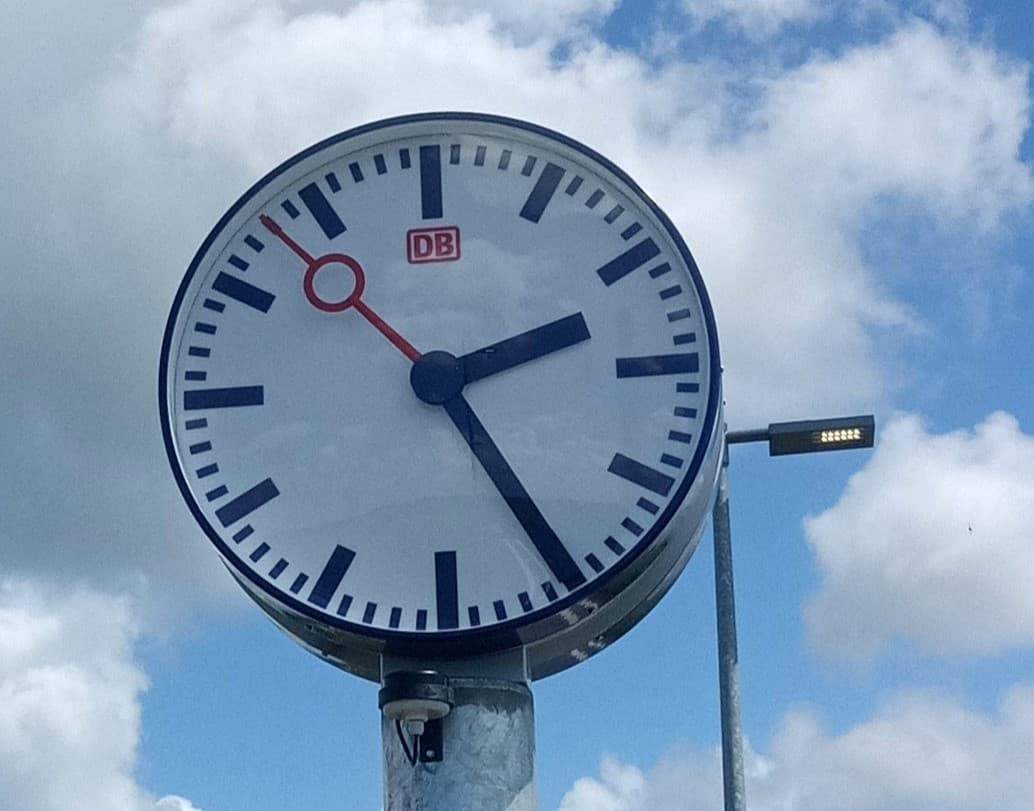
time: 2:24
